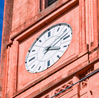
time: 4:12
